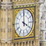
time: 4:00
